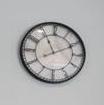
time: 11:10
